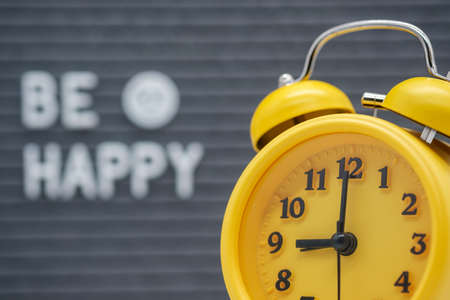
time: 8:59
